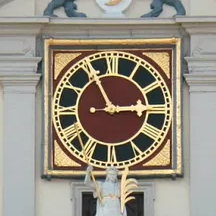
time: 2:55
